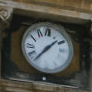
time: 1:36
